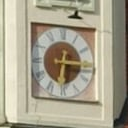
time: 6:15
